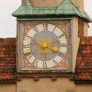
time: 2:18
